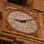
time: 9:10
